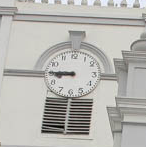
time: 8:45
